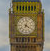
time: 4:02
